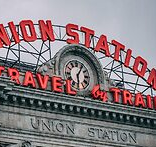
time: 6:05
